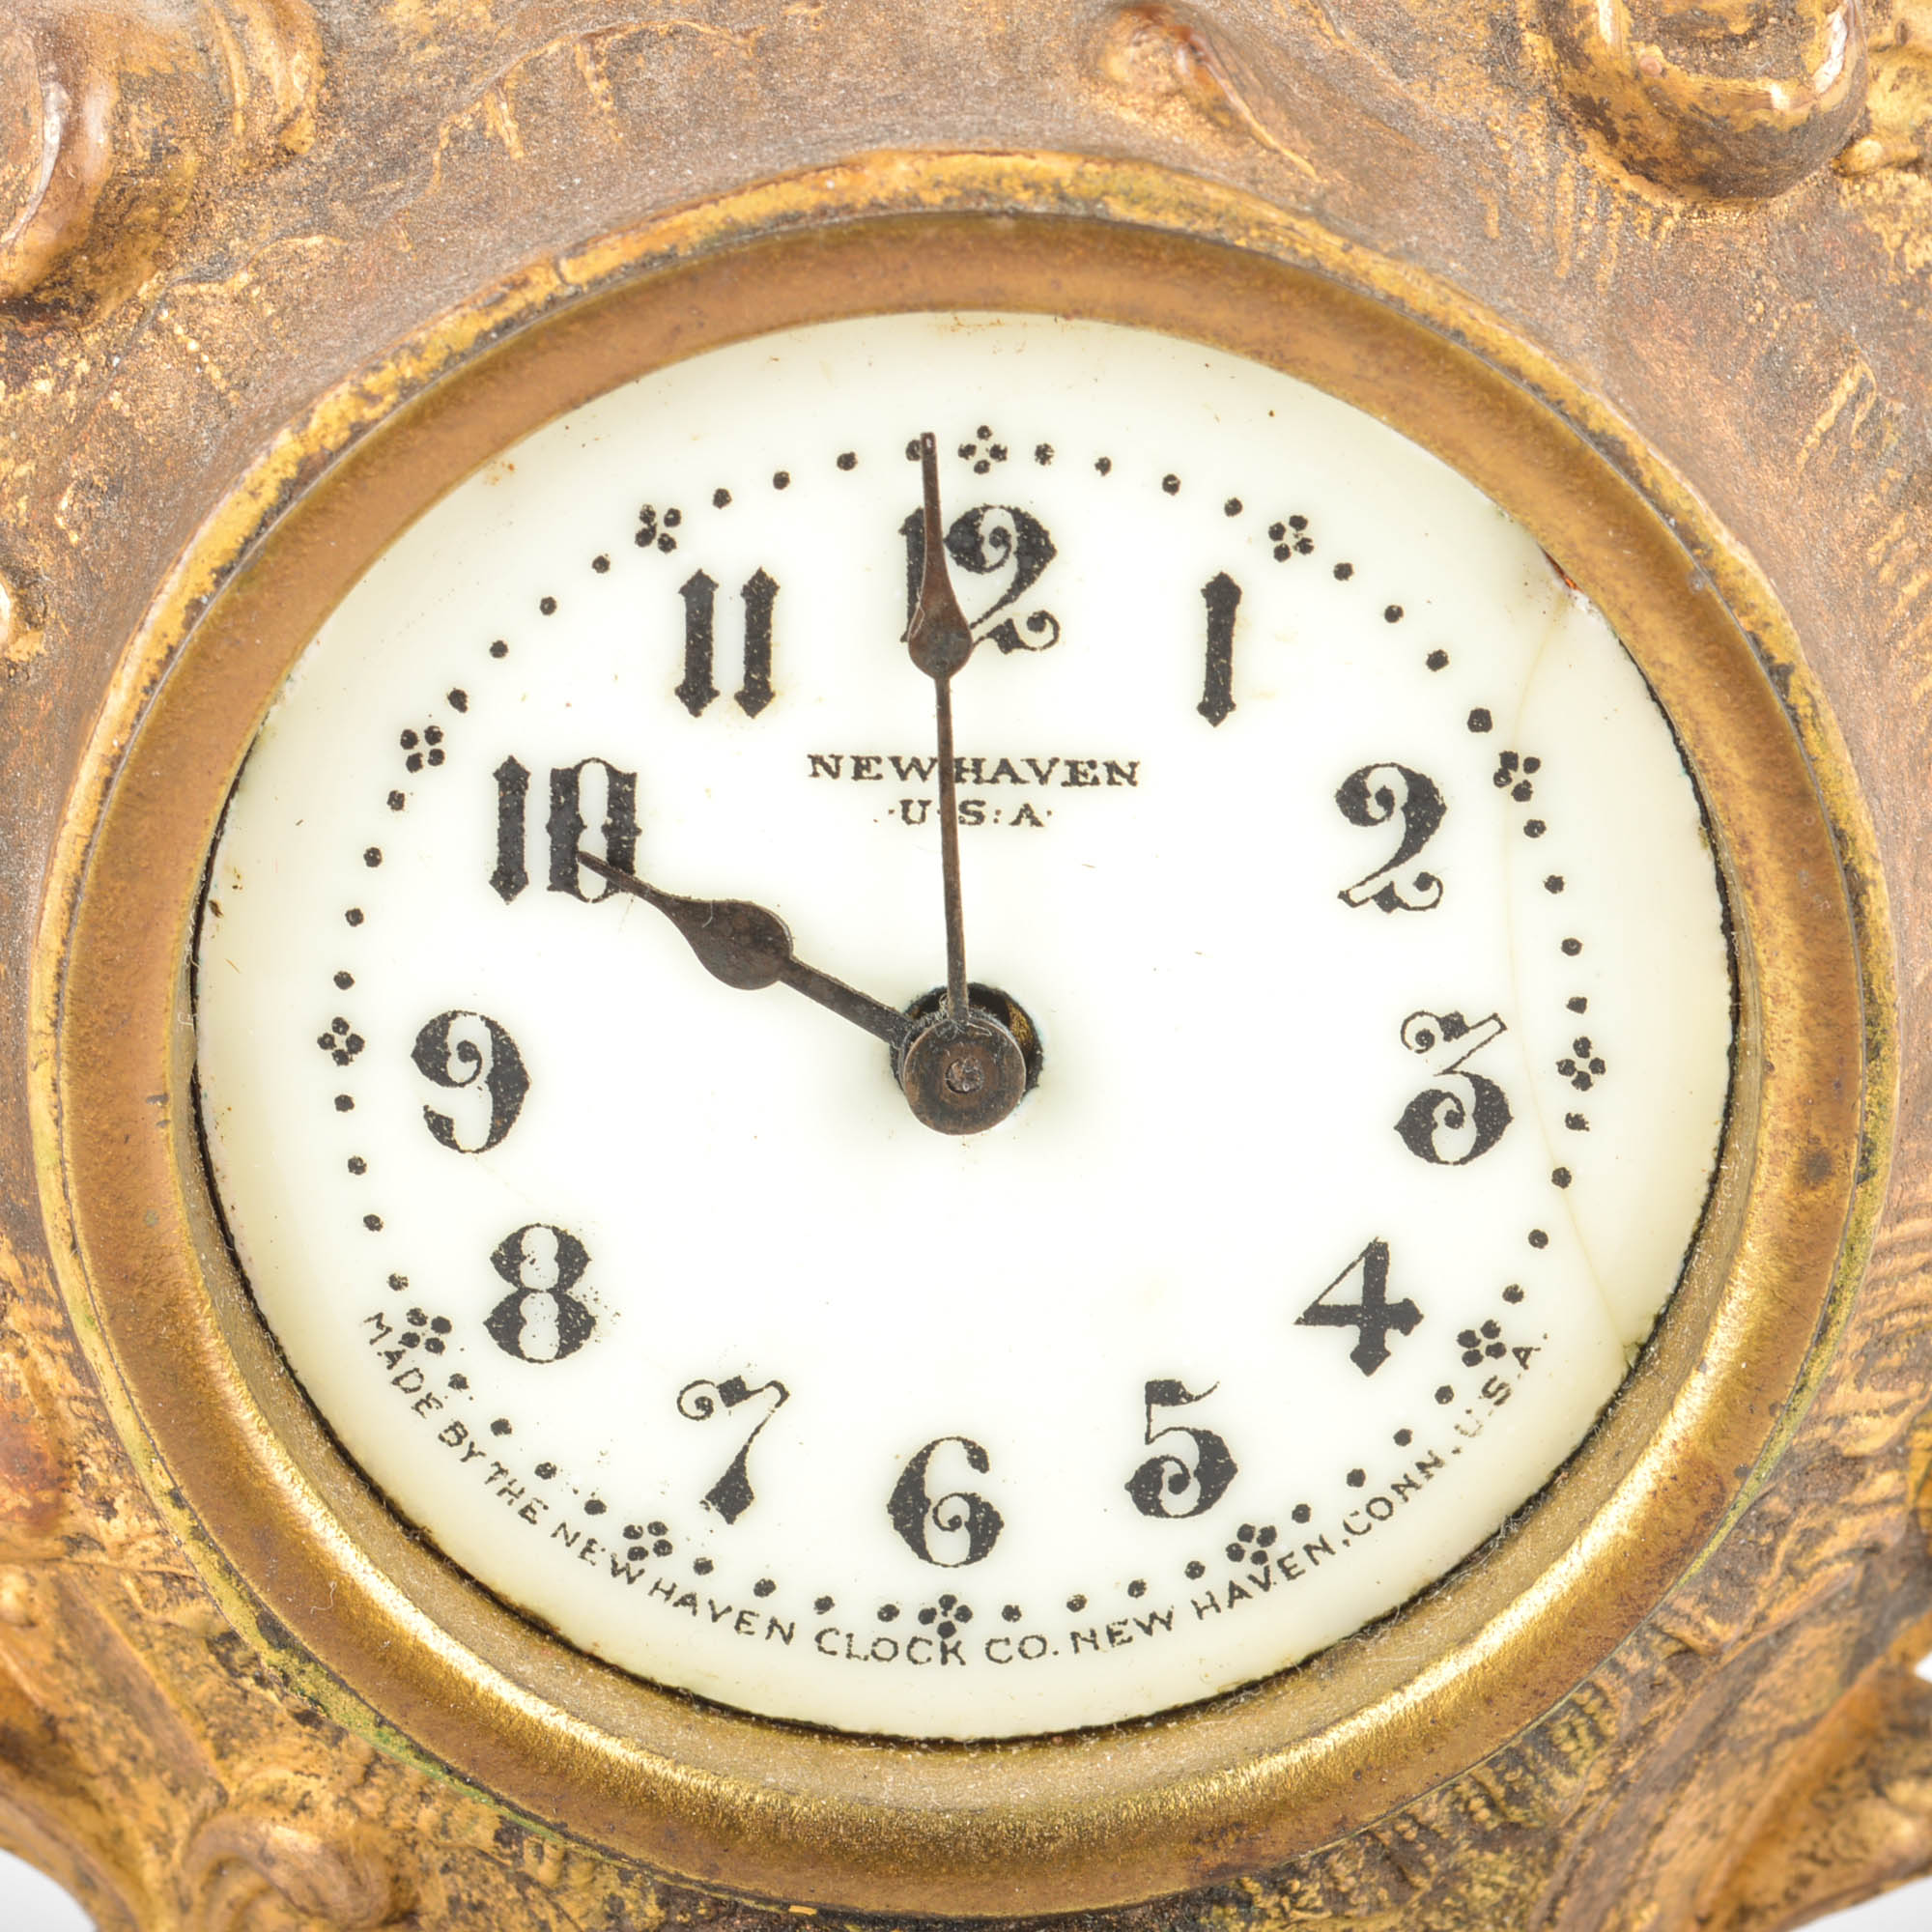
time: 9:59
